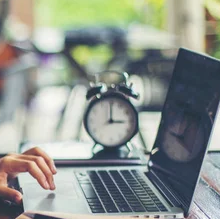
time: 3:00
